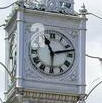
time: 11:12
